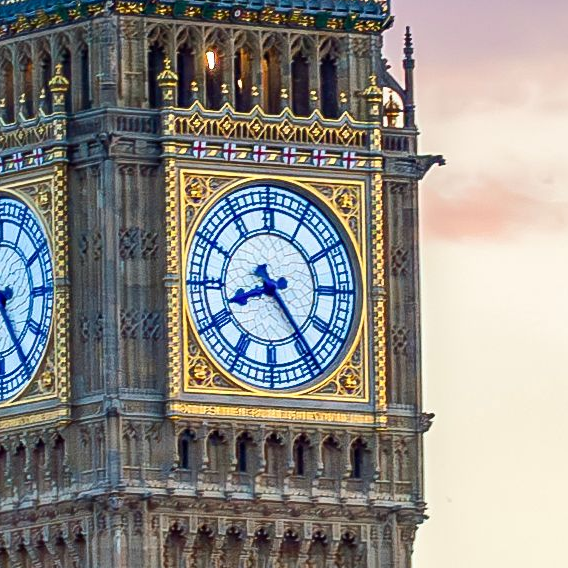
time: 8:23
